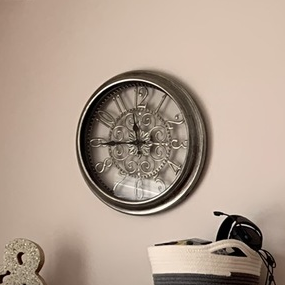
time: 11:44
